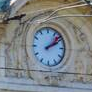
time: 2:08
